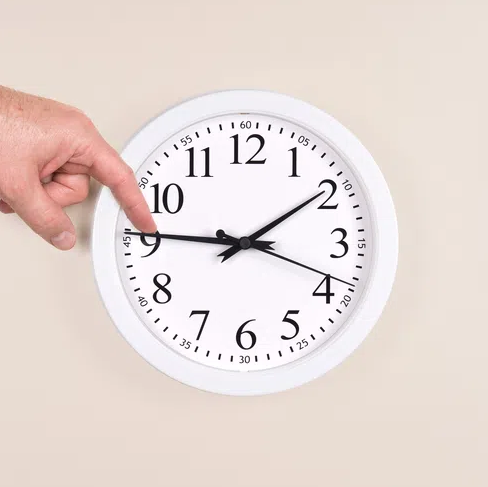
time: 1:46
